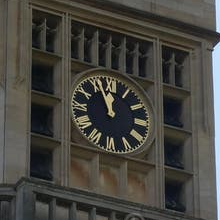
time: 11:56
